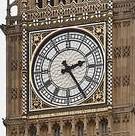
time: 2:24
